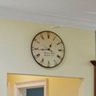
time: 12:44
